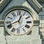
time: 12:41
